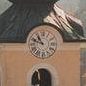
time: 10:47
